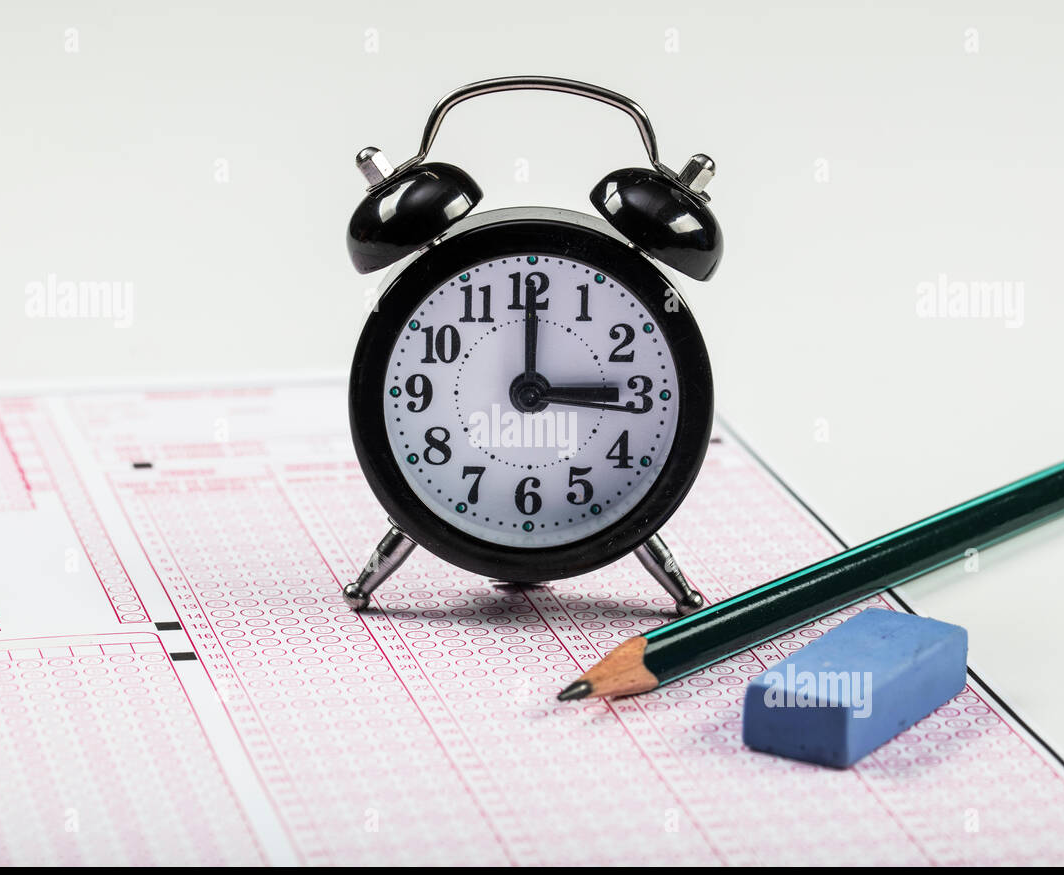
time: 3:00
